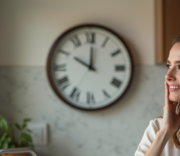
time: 10:00
